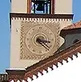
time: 3:22
